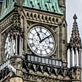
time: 11:08
